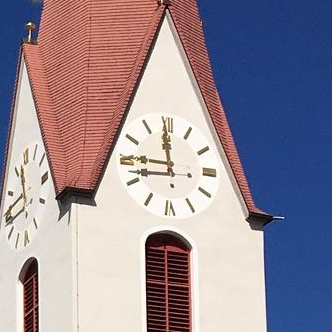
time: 11:45
